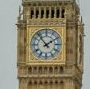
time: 1:53
